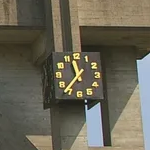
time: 11:36
